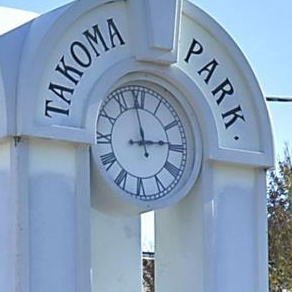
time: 2:58
